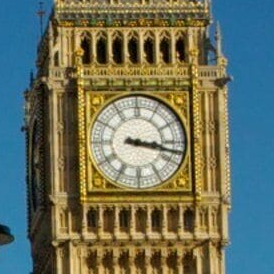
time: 3:17
